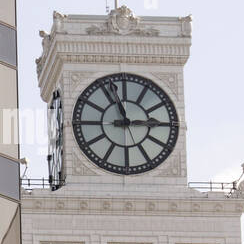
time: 2:56
